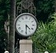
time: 4:29
